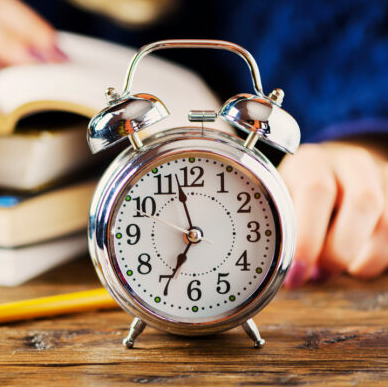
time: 6:57
